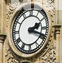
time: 2:18
